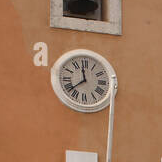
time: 11:38
